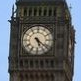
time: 5:21
